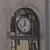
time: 11:37
